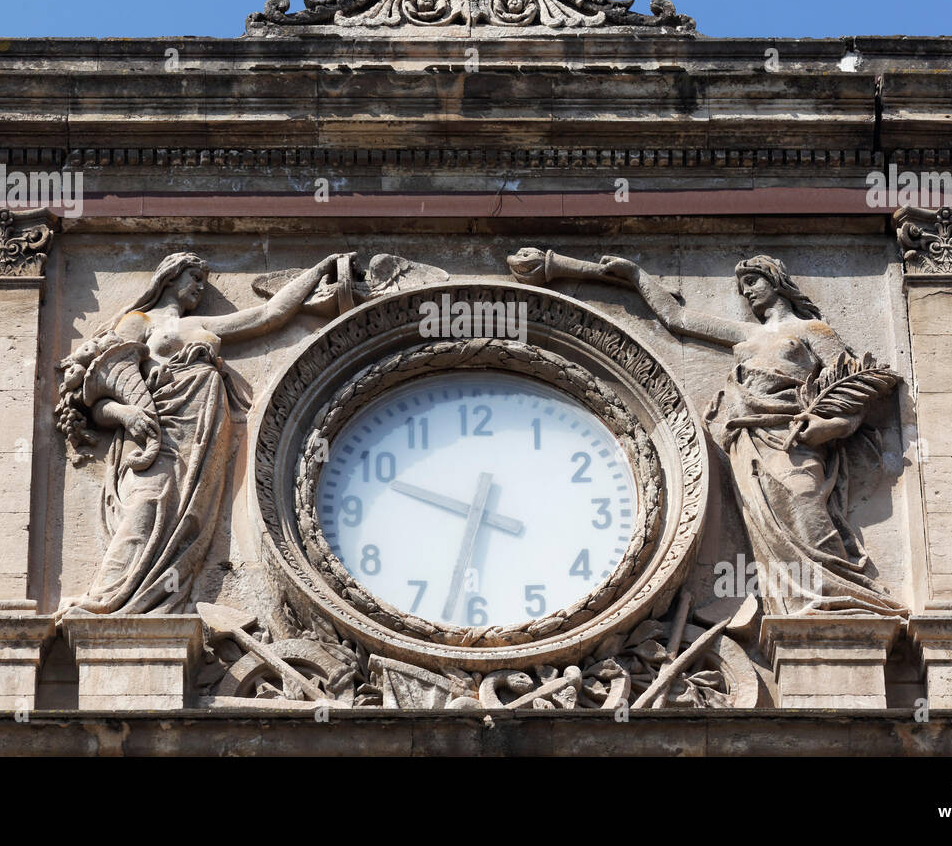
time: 9:32
